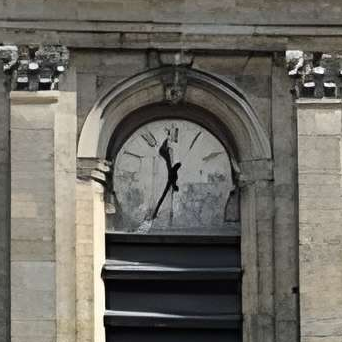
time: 11:34
